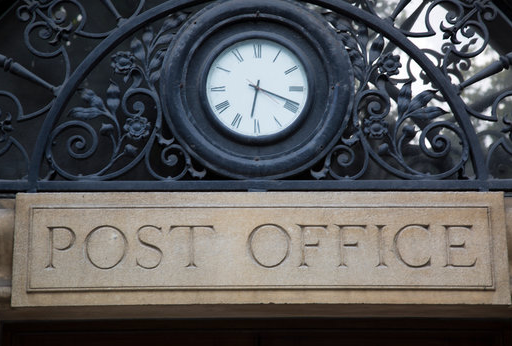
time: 6:18
